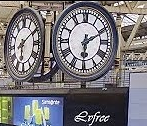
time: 6:10
